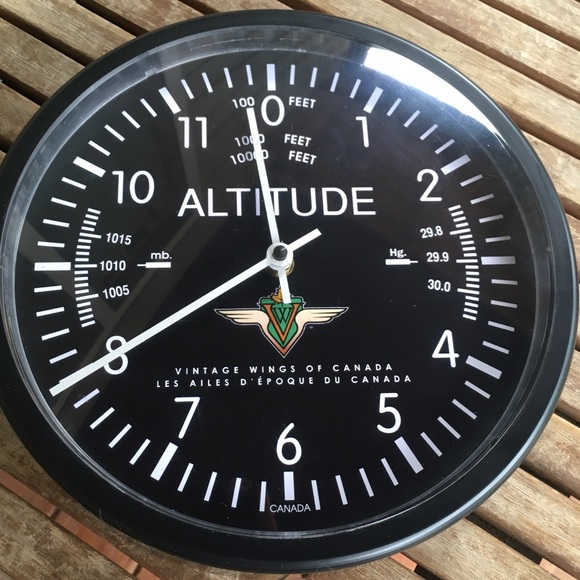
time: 7:58
